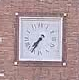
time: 7:35
